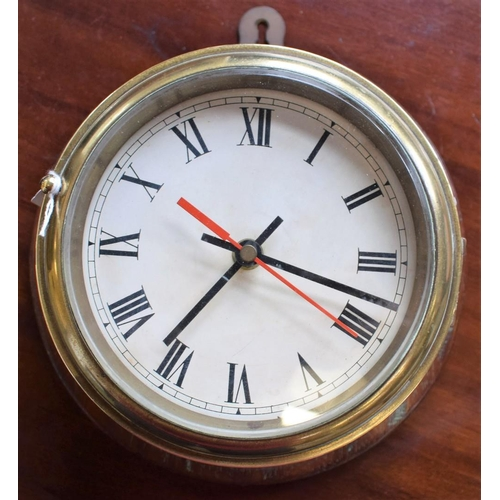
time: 7:17
